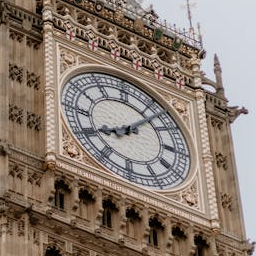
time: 8:07
